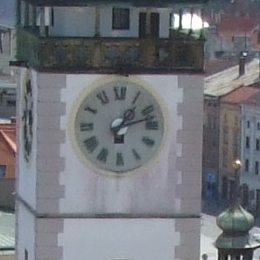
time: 1:12
